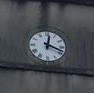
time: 12:18
